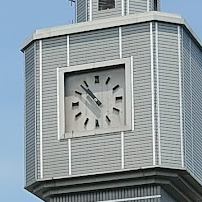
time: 10:52
